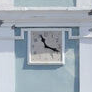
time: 11:18
